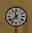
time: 11:37
